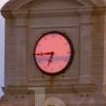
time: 6:44
